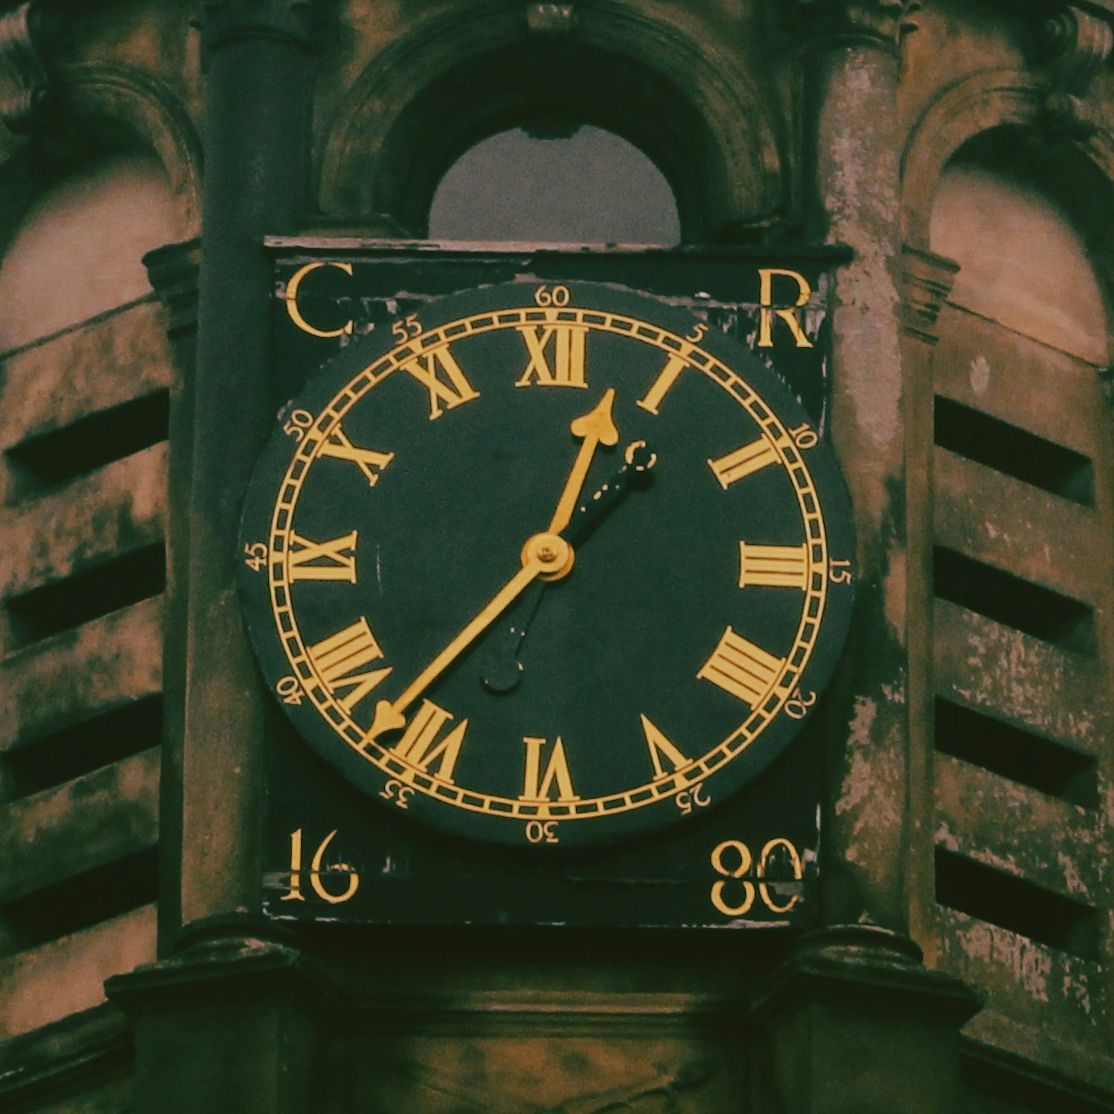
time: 12:36
